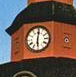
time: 6:01
